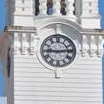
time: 9:13
